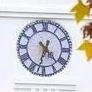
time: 4:32
